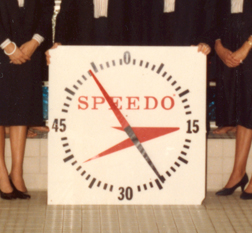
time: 2:54
